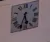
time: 5:33
